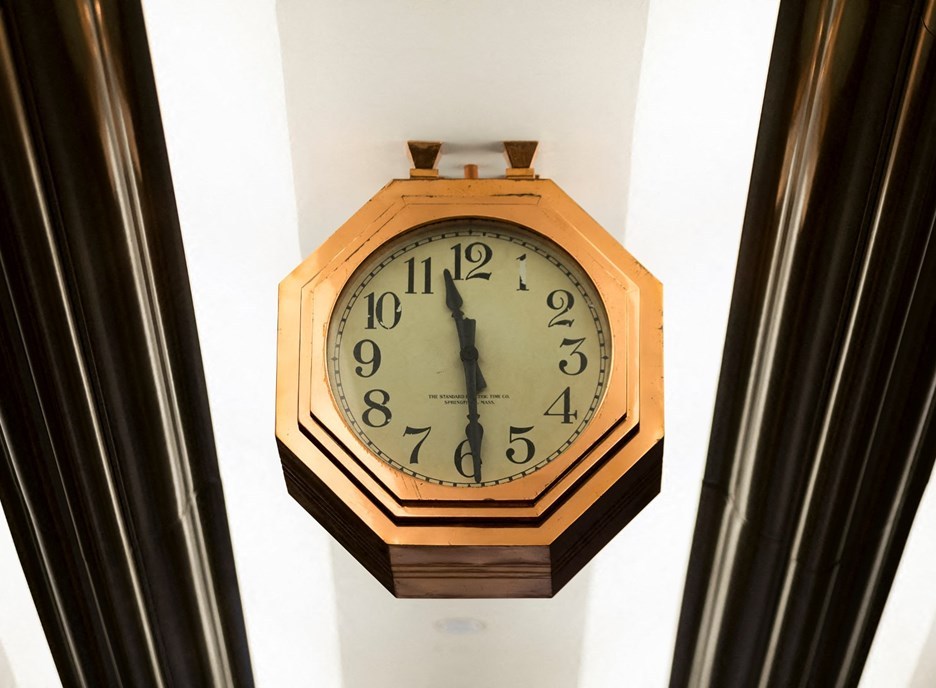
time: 11:29
